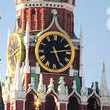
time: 5:13
